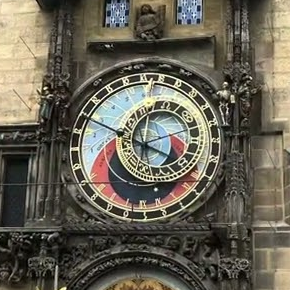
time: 3:48
